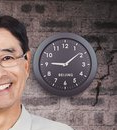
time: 9:08
